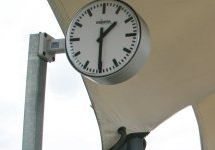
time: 1:30
